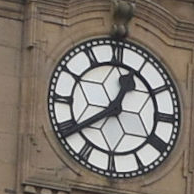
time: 12:39
